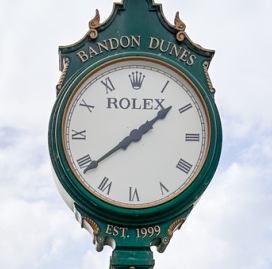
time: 1:38
